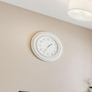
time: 1:36
